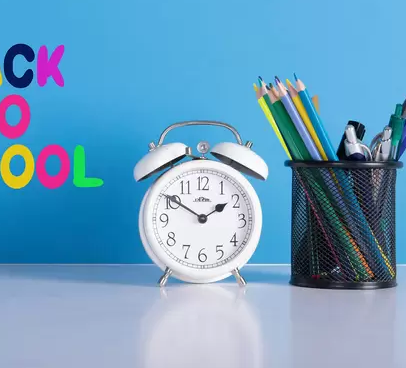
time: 1:50
